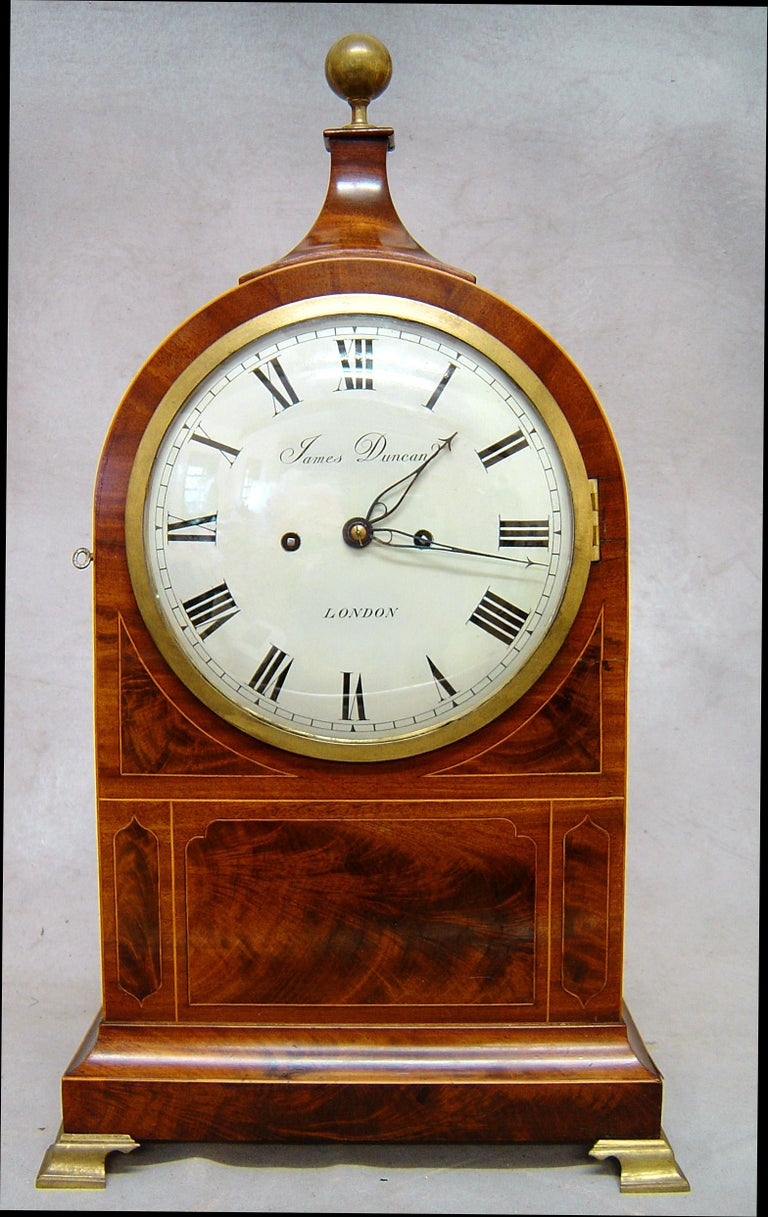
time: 3:07
